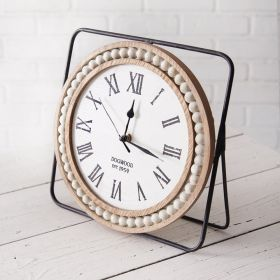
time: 12:16
